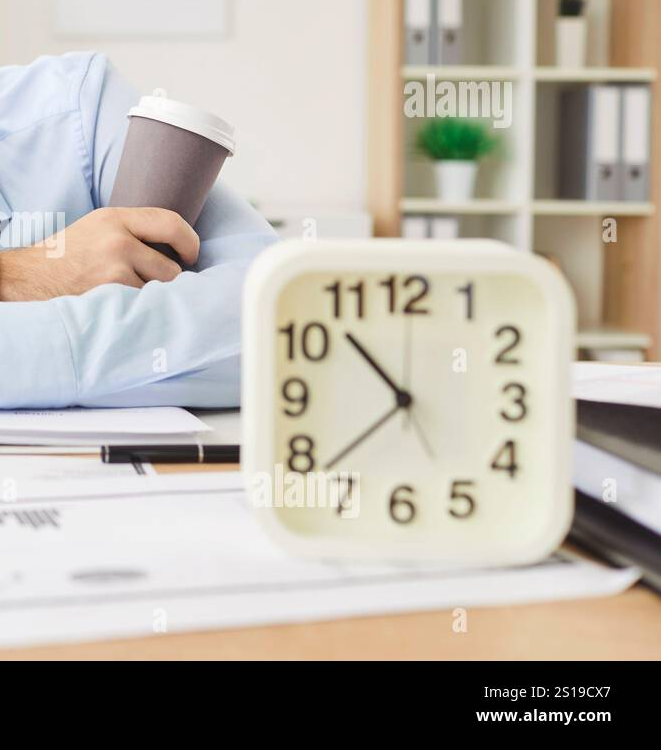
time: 10:38
